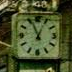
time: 12:56
